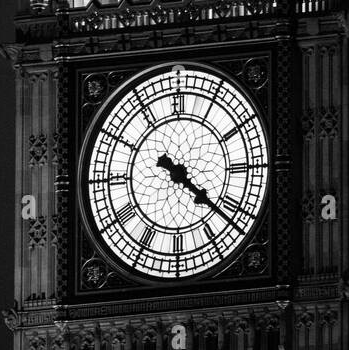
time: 4:21
